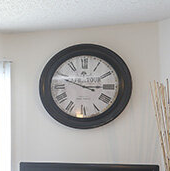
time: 2:48
